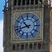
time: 10:42
